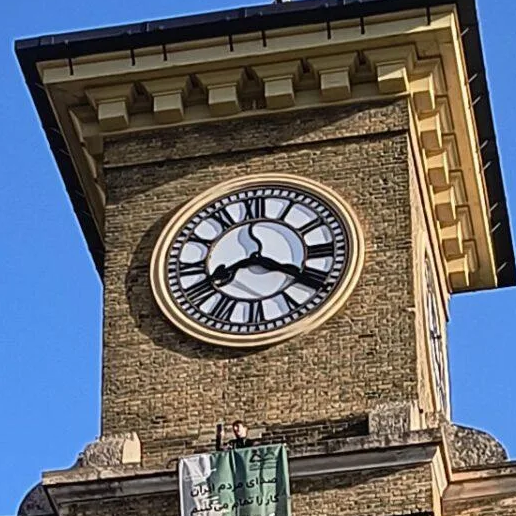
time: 3:40
